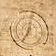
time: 7:01
